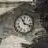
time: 11:18
